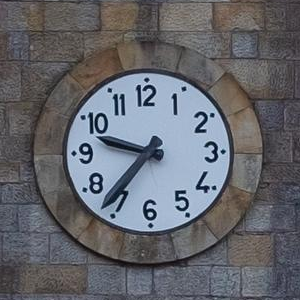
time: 9:36
